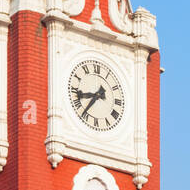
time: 8:36
